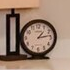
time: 1:13
